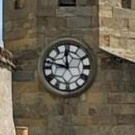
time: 11:47
